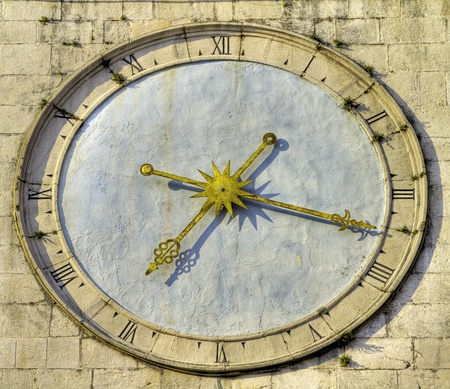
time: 7:17
